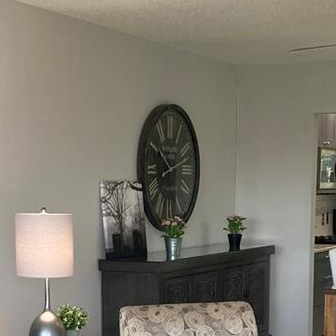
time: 10:12
